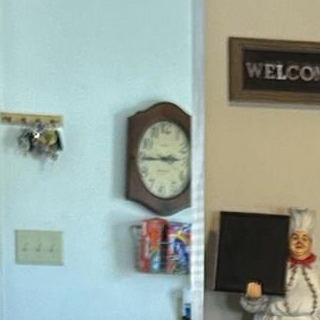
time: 2:44
